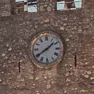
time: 1:39
